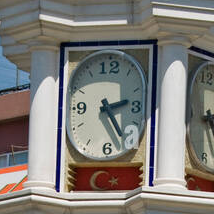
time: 2:23
